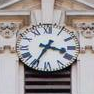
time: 3:34
